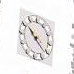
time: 10:21
